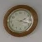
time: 2:18
